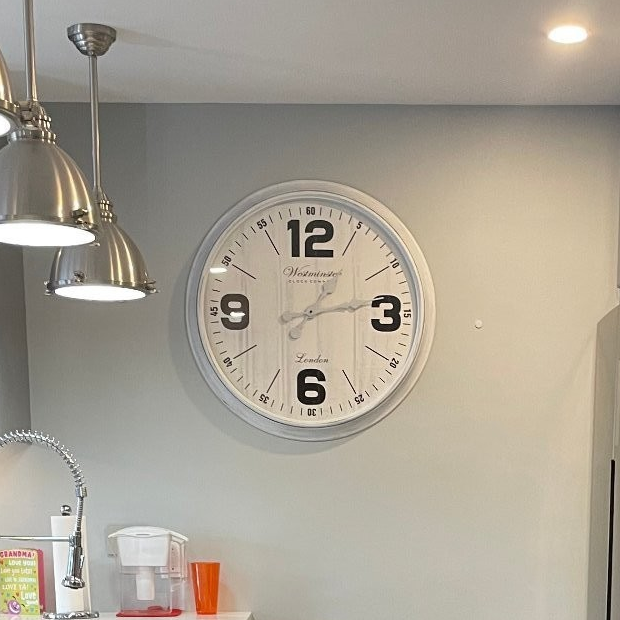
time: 1:13
